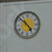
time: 4:52
